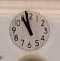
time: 10:58
